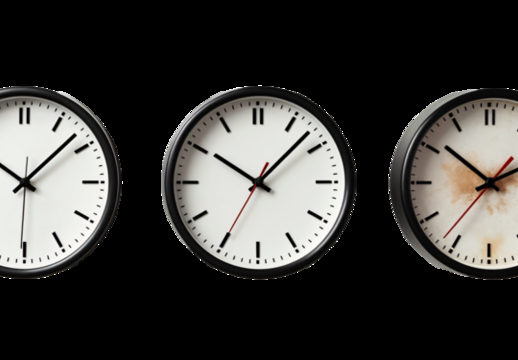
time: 10:07
